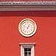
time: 12:49
